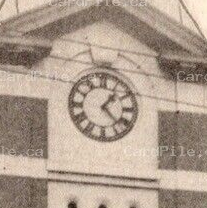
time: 1:22
